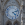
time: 4:12
